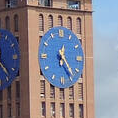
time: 12:23
